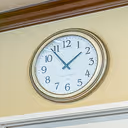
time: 1:53
